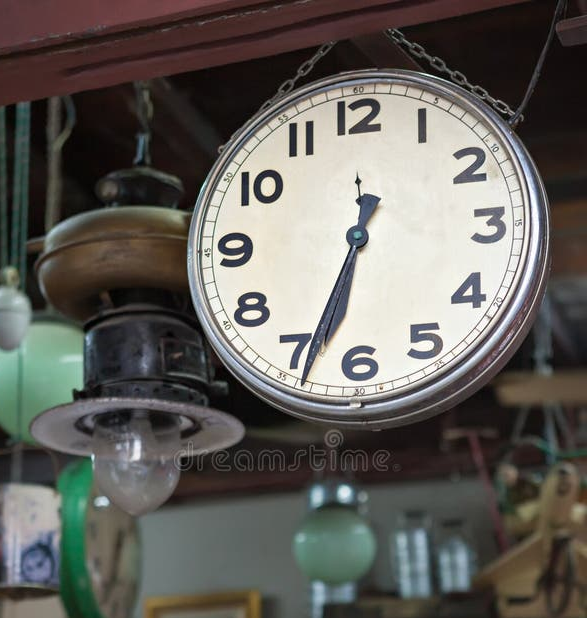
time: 6:33
